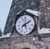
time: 5:09
